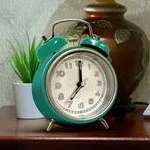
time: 7:00
